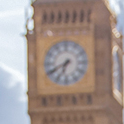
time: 6:40
